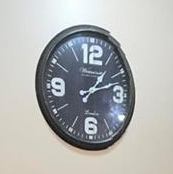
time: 1:11
